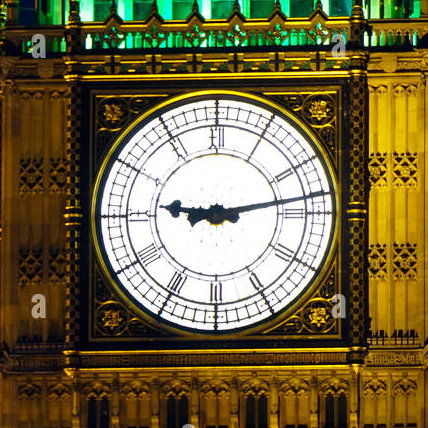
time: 9:13
